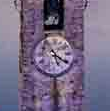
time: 5:20
